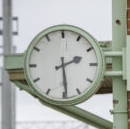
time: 2:29
